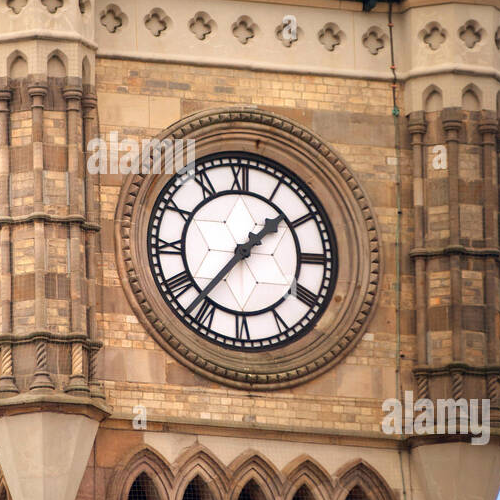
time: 1:36
